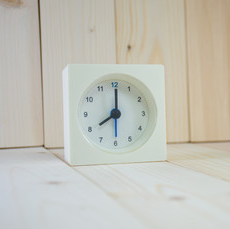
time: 8:00
